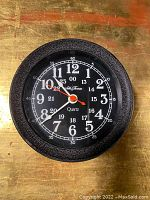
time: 10:38
